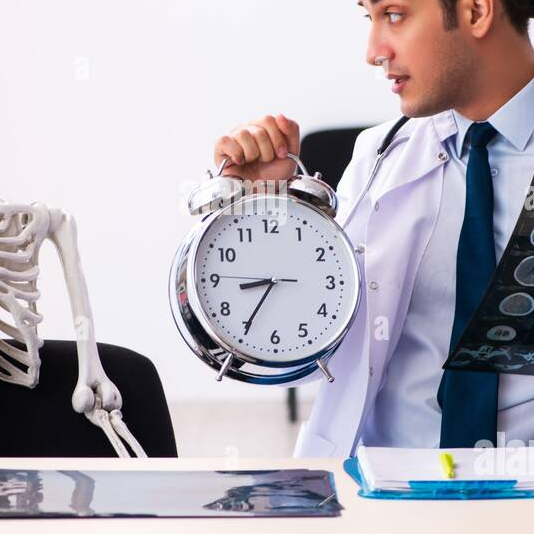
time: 8:35
